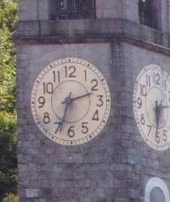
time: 2:33
